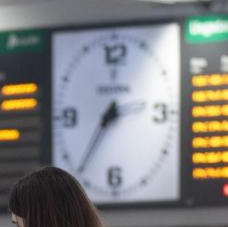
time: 7:36
